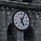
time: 5:04
